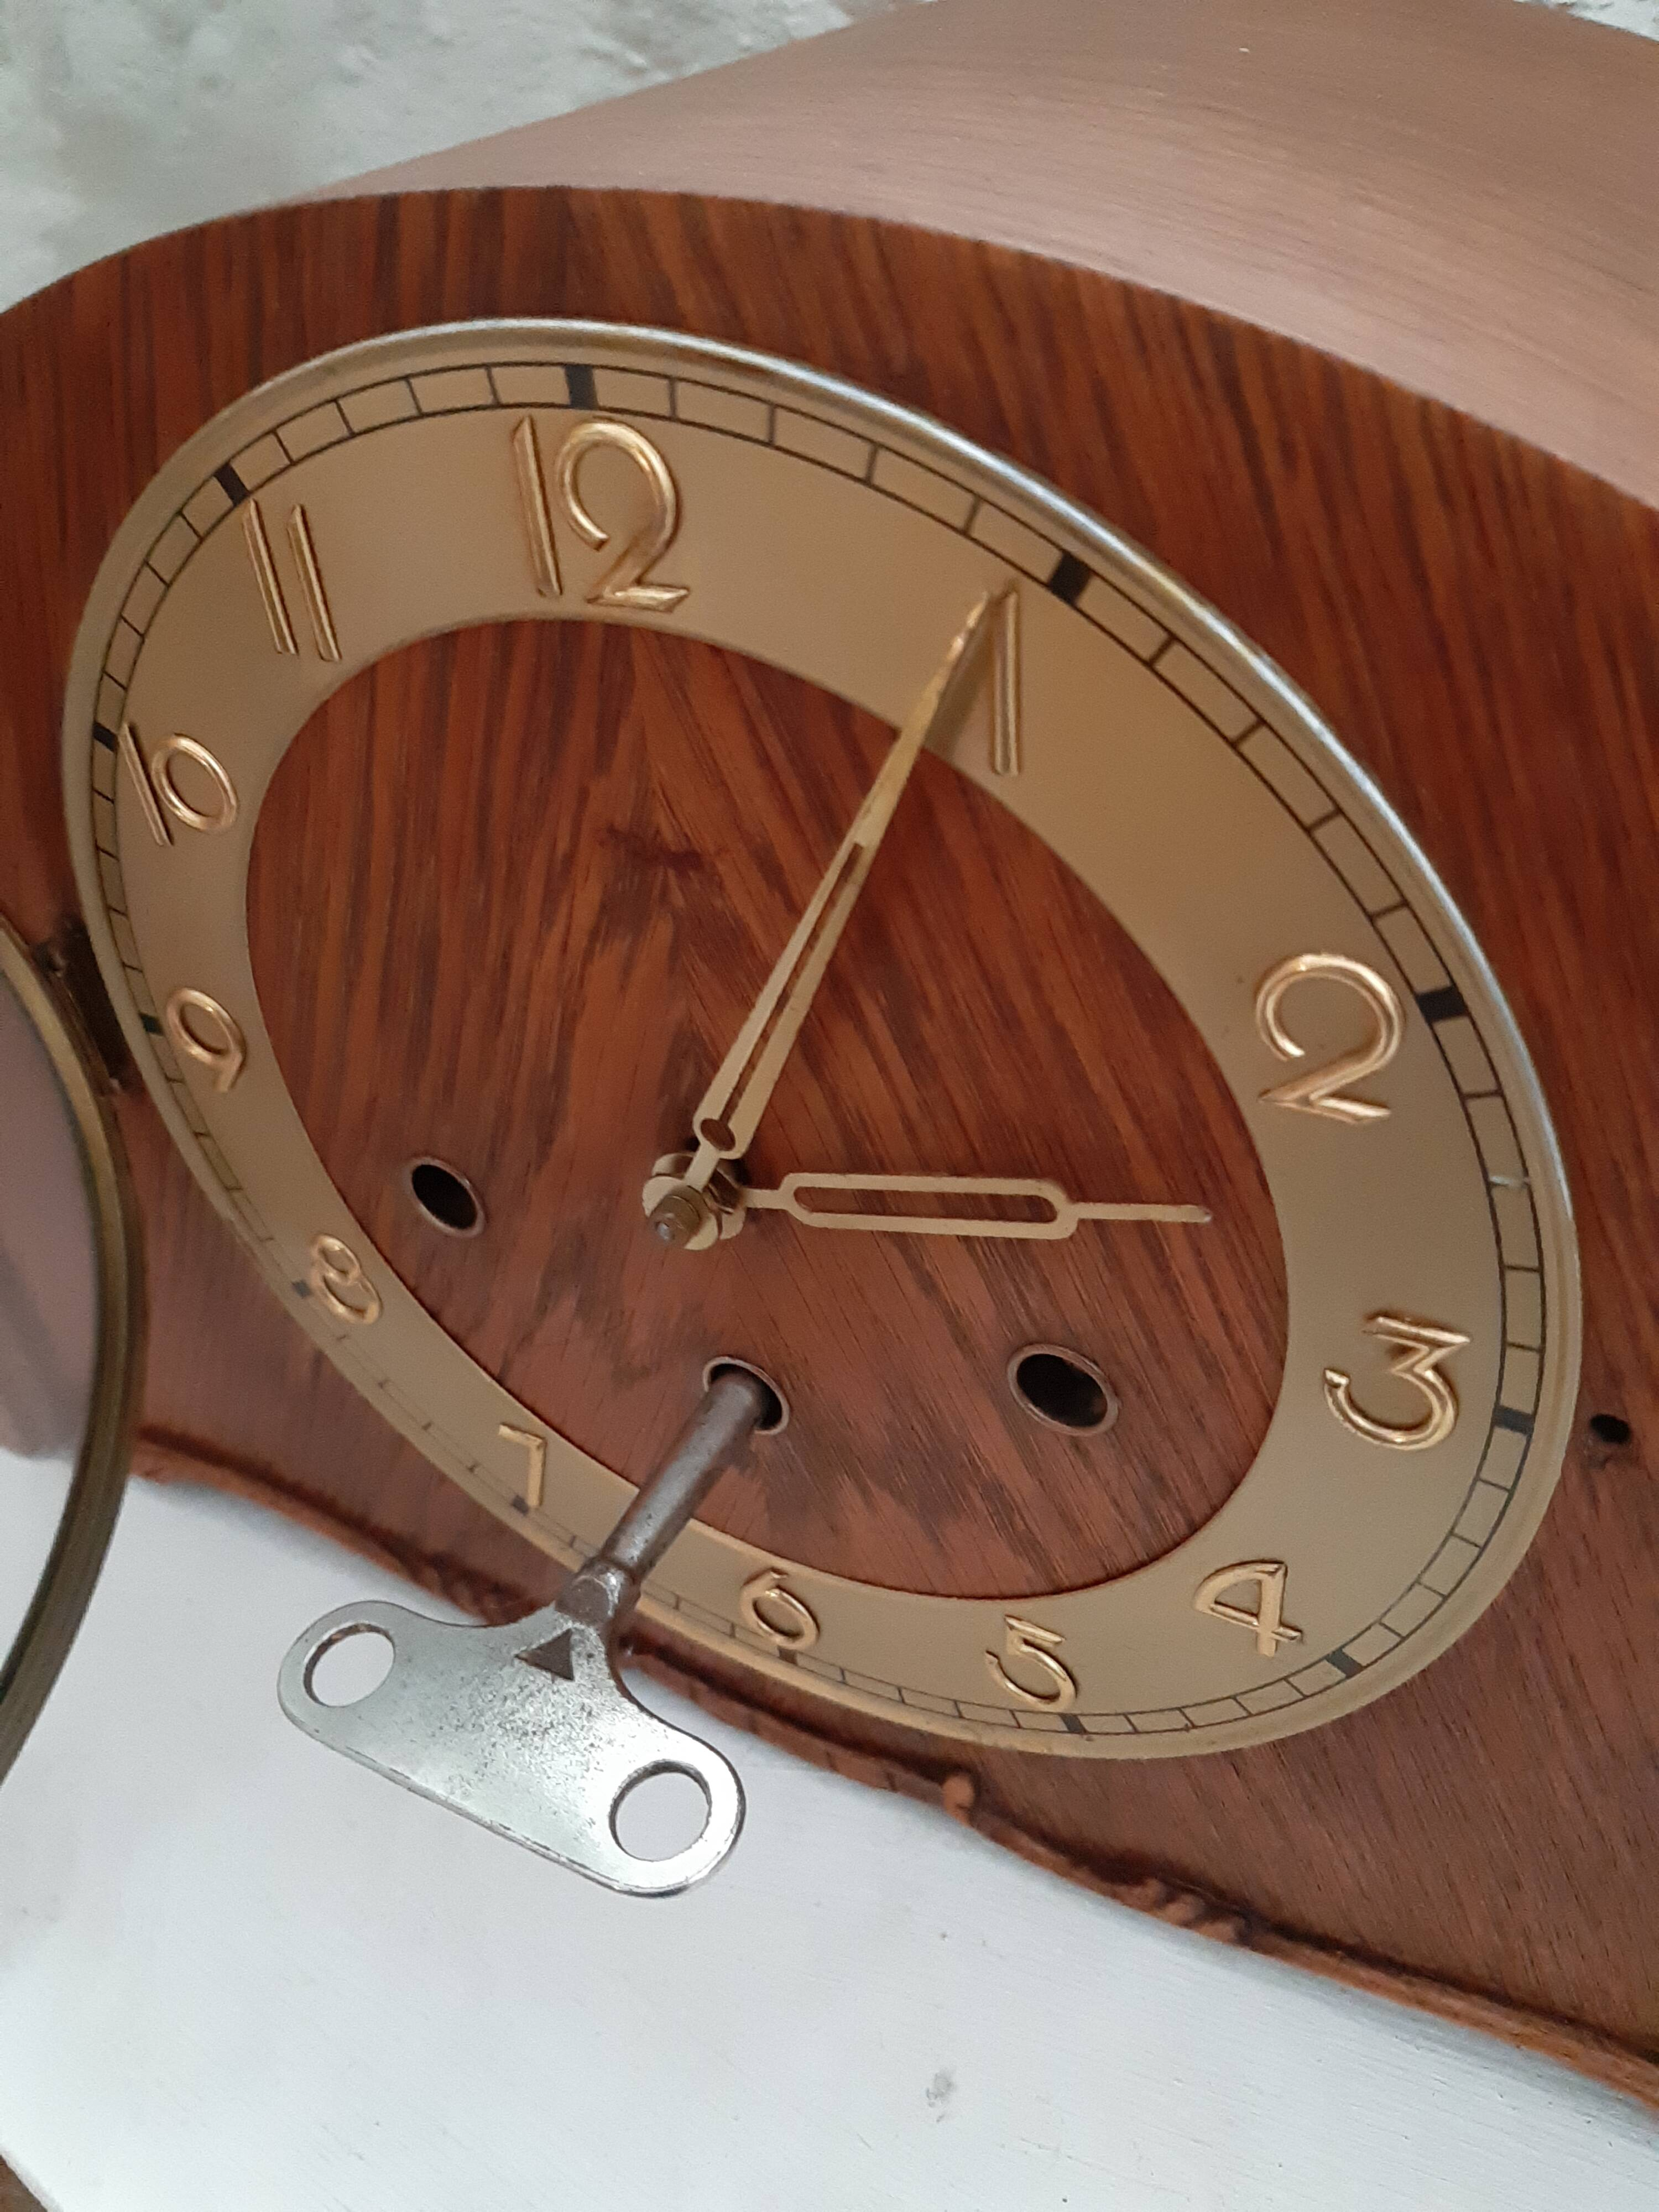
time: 3:04
